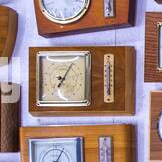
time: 7:04
